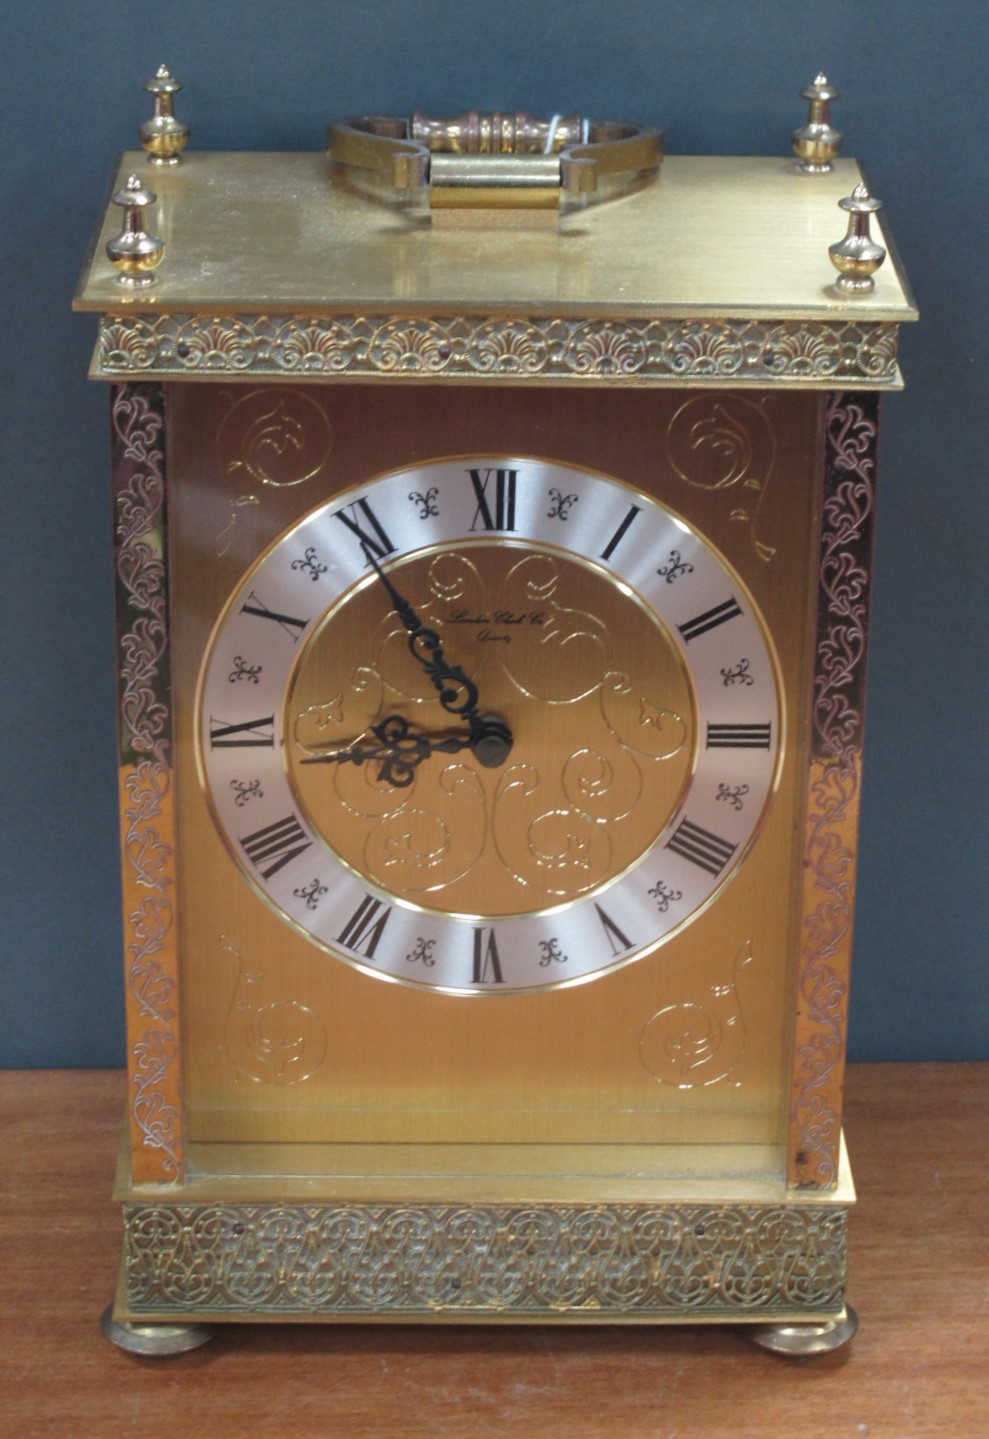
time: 8:54
